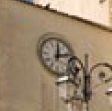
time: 12:12
